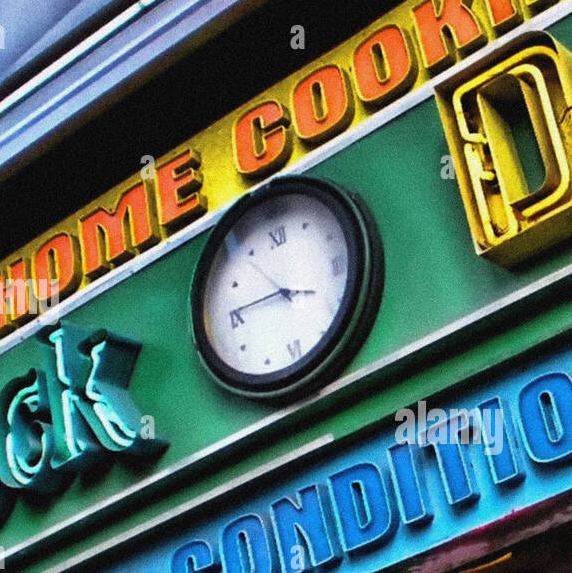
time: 3:45
